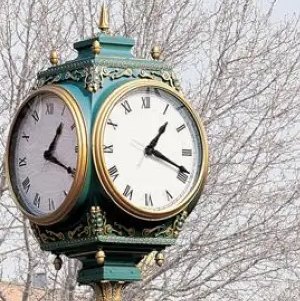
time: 1:18
